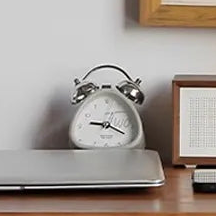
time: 9:20
